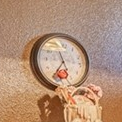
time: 11:35
